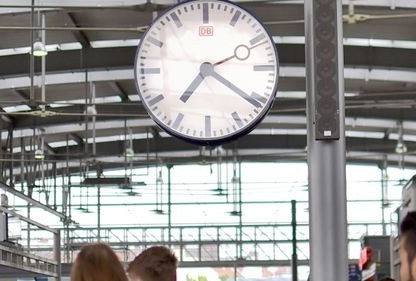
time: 7:21
